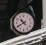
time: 10:40
